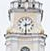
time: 2:29
